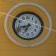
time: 6:42
